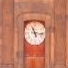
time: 11:16
